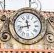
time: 11:42
